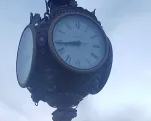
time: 8:43
